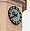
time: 9:39
